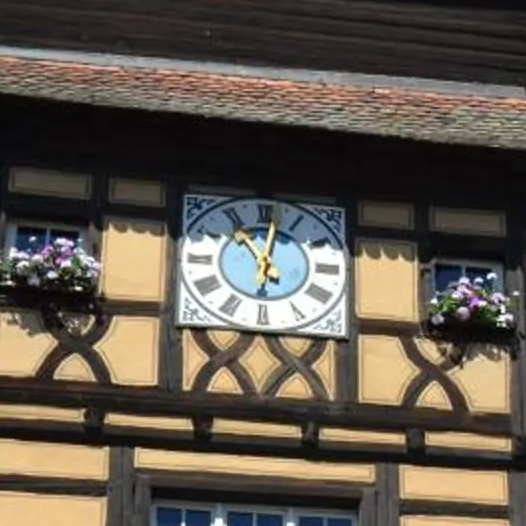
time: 11:02
